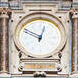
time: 12:49
